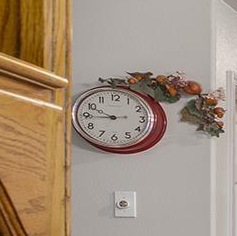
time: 9:44
